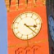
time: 3:22
